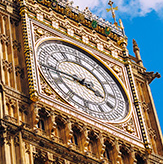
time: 3:44
